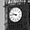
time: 9:45
